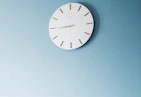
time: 8:44
